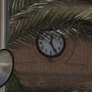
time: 12:24
